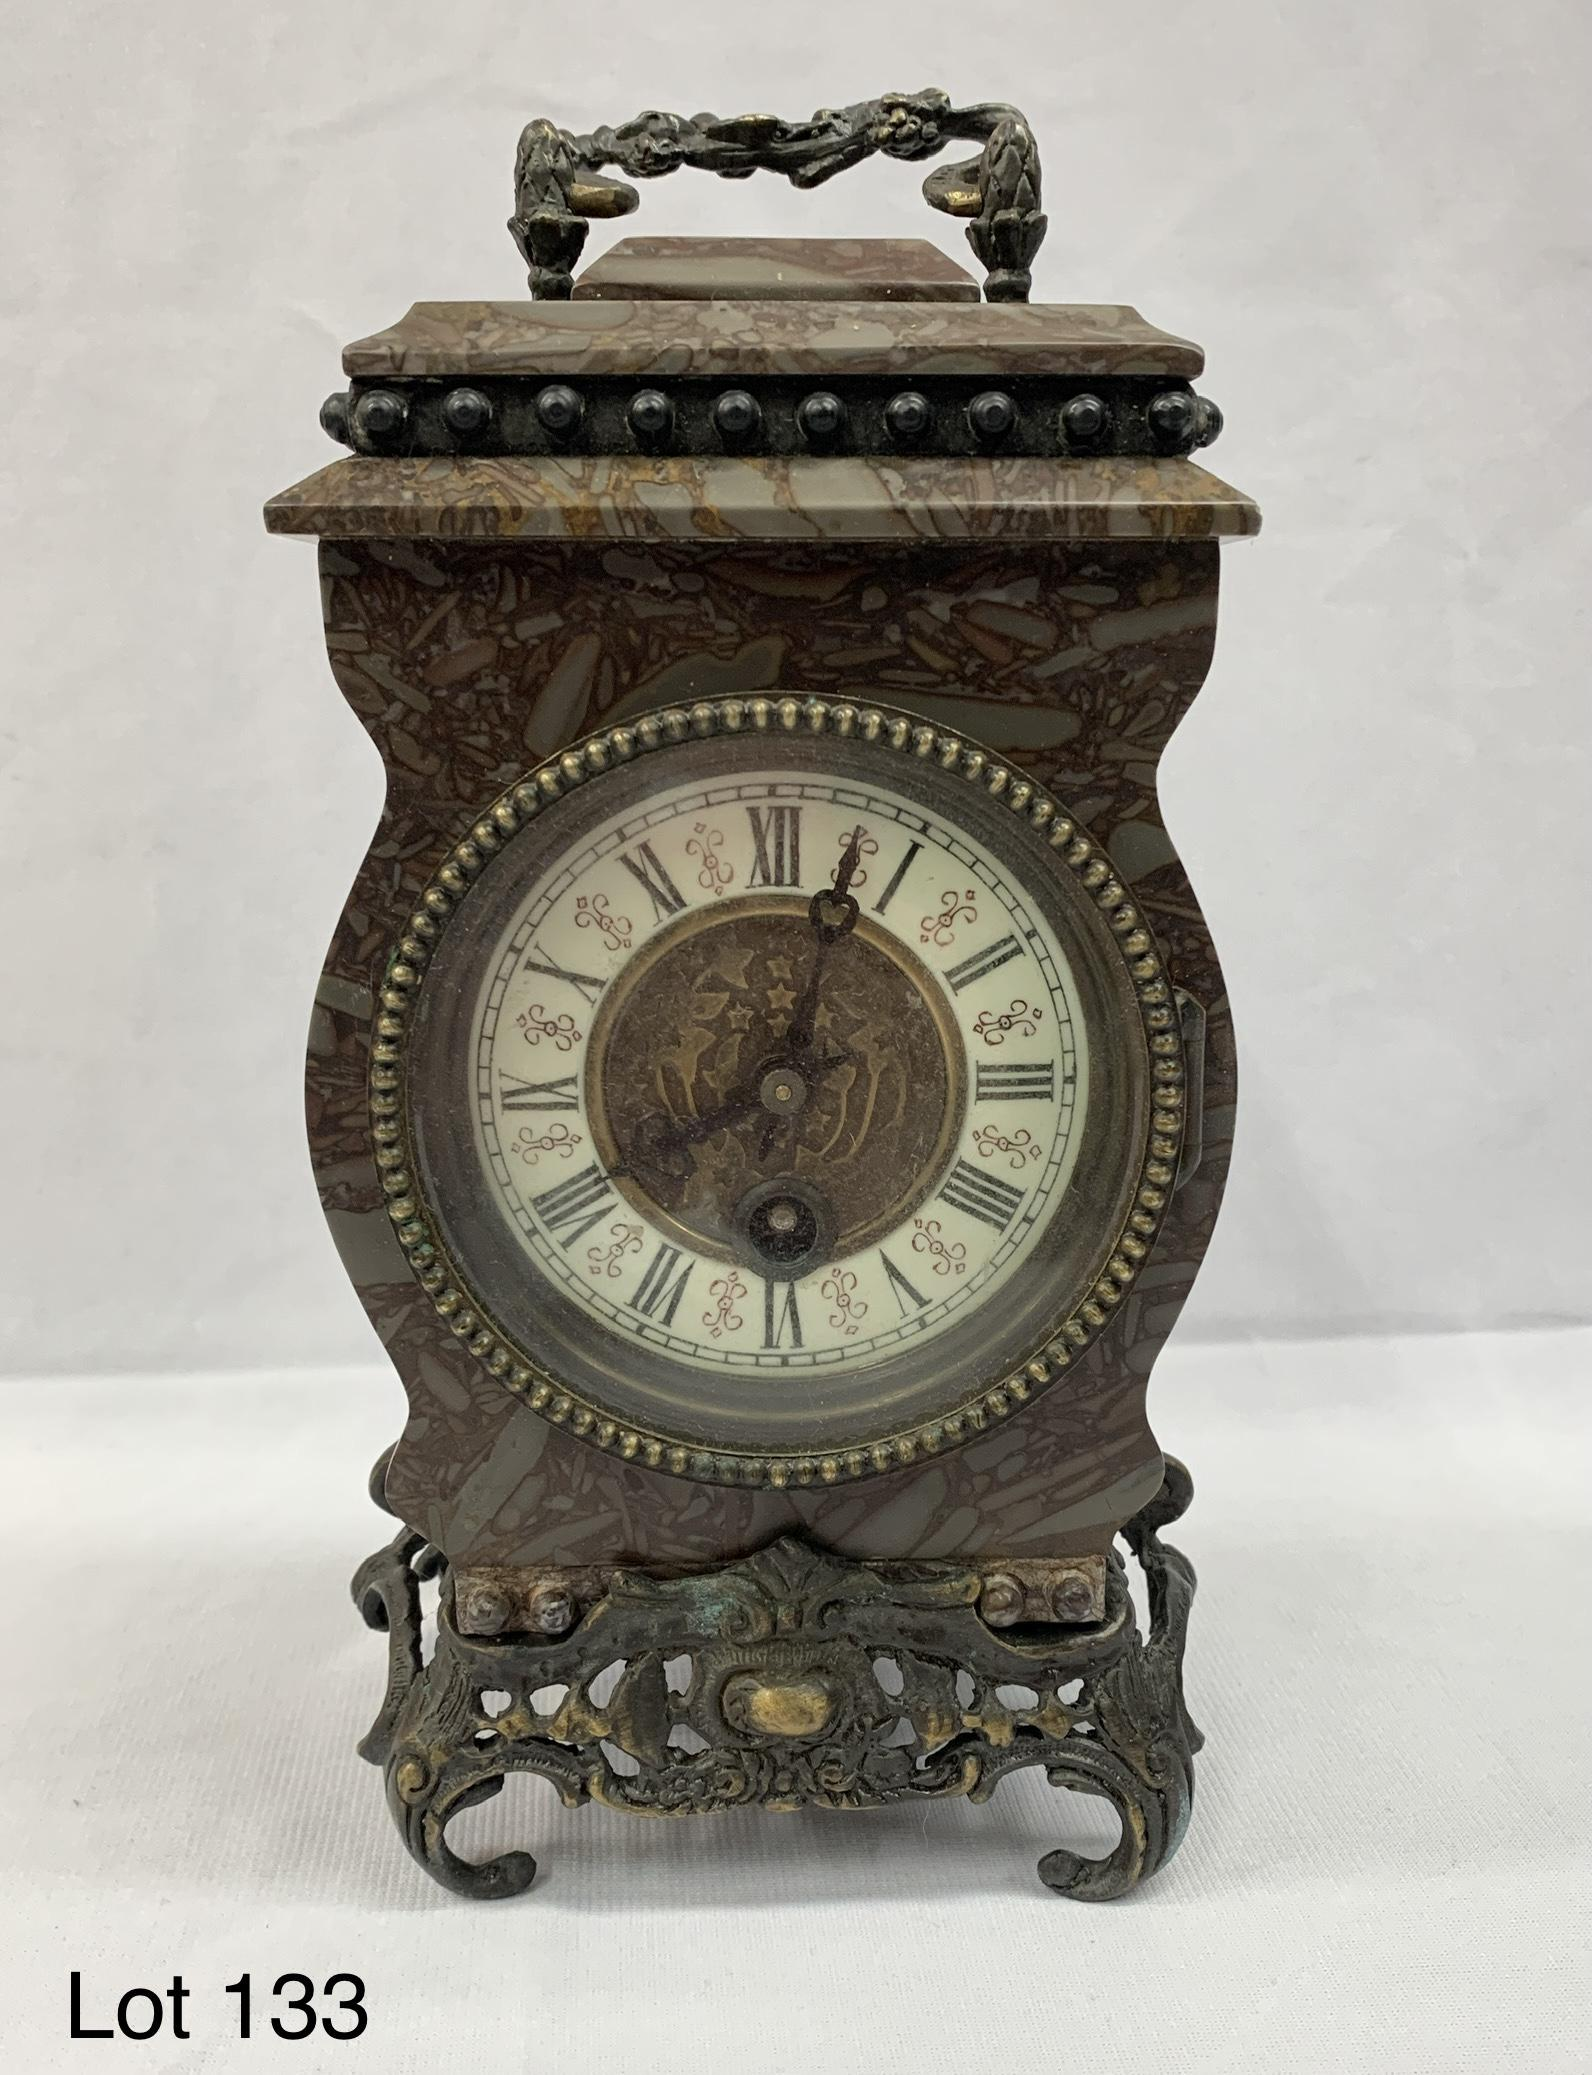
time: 8:03
